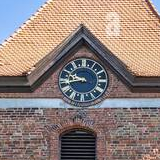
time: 9:42
